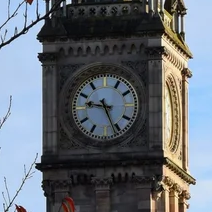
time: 9:26
